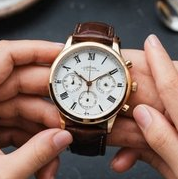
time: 10:10
